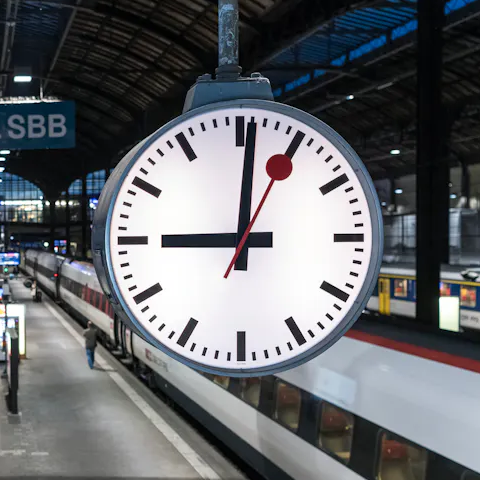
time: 9:01
